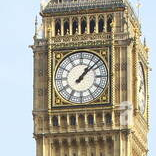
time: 1:08
